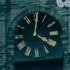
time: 4:01
